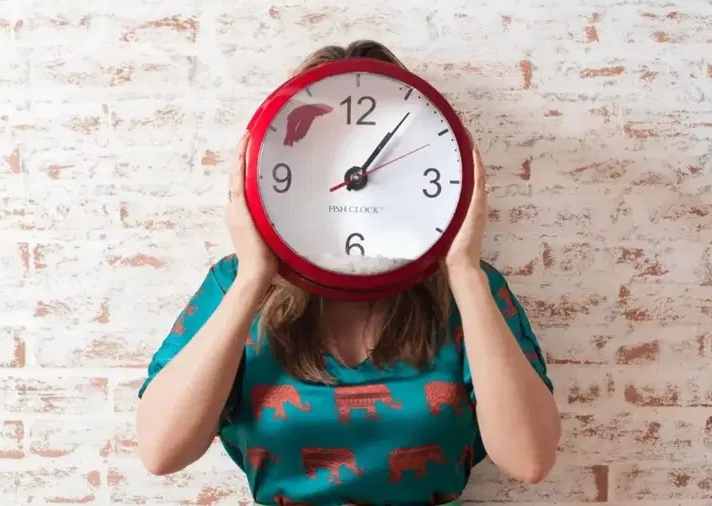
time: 1:06
